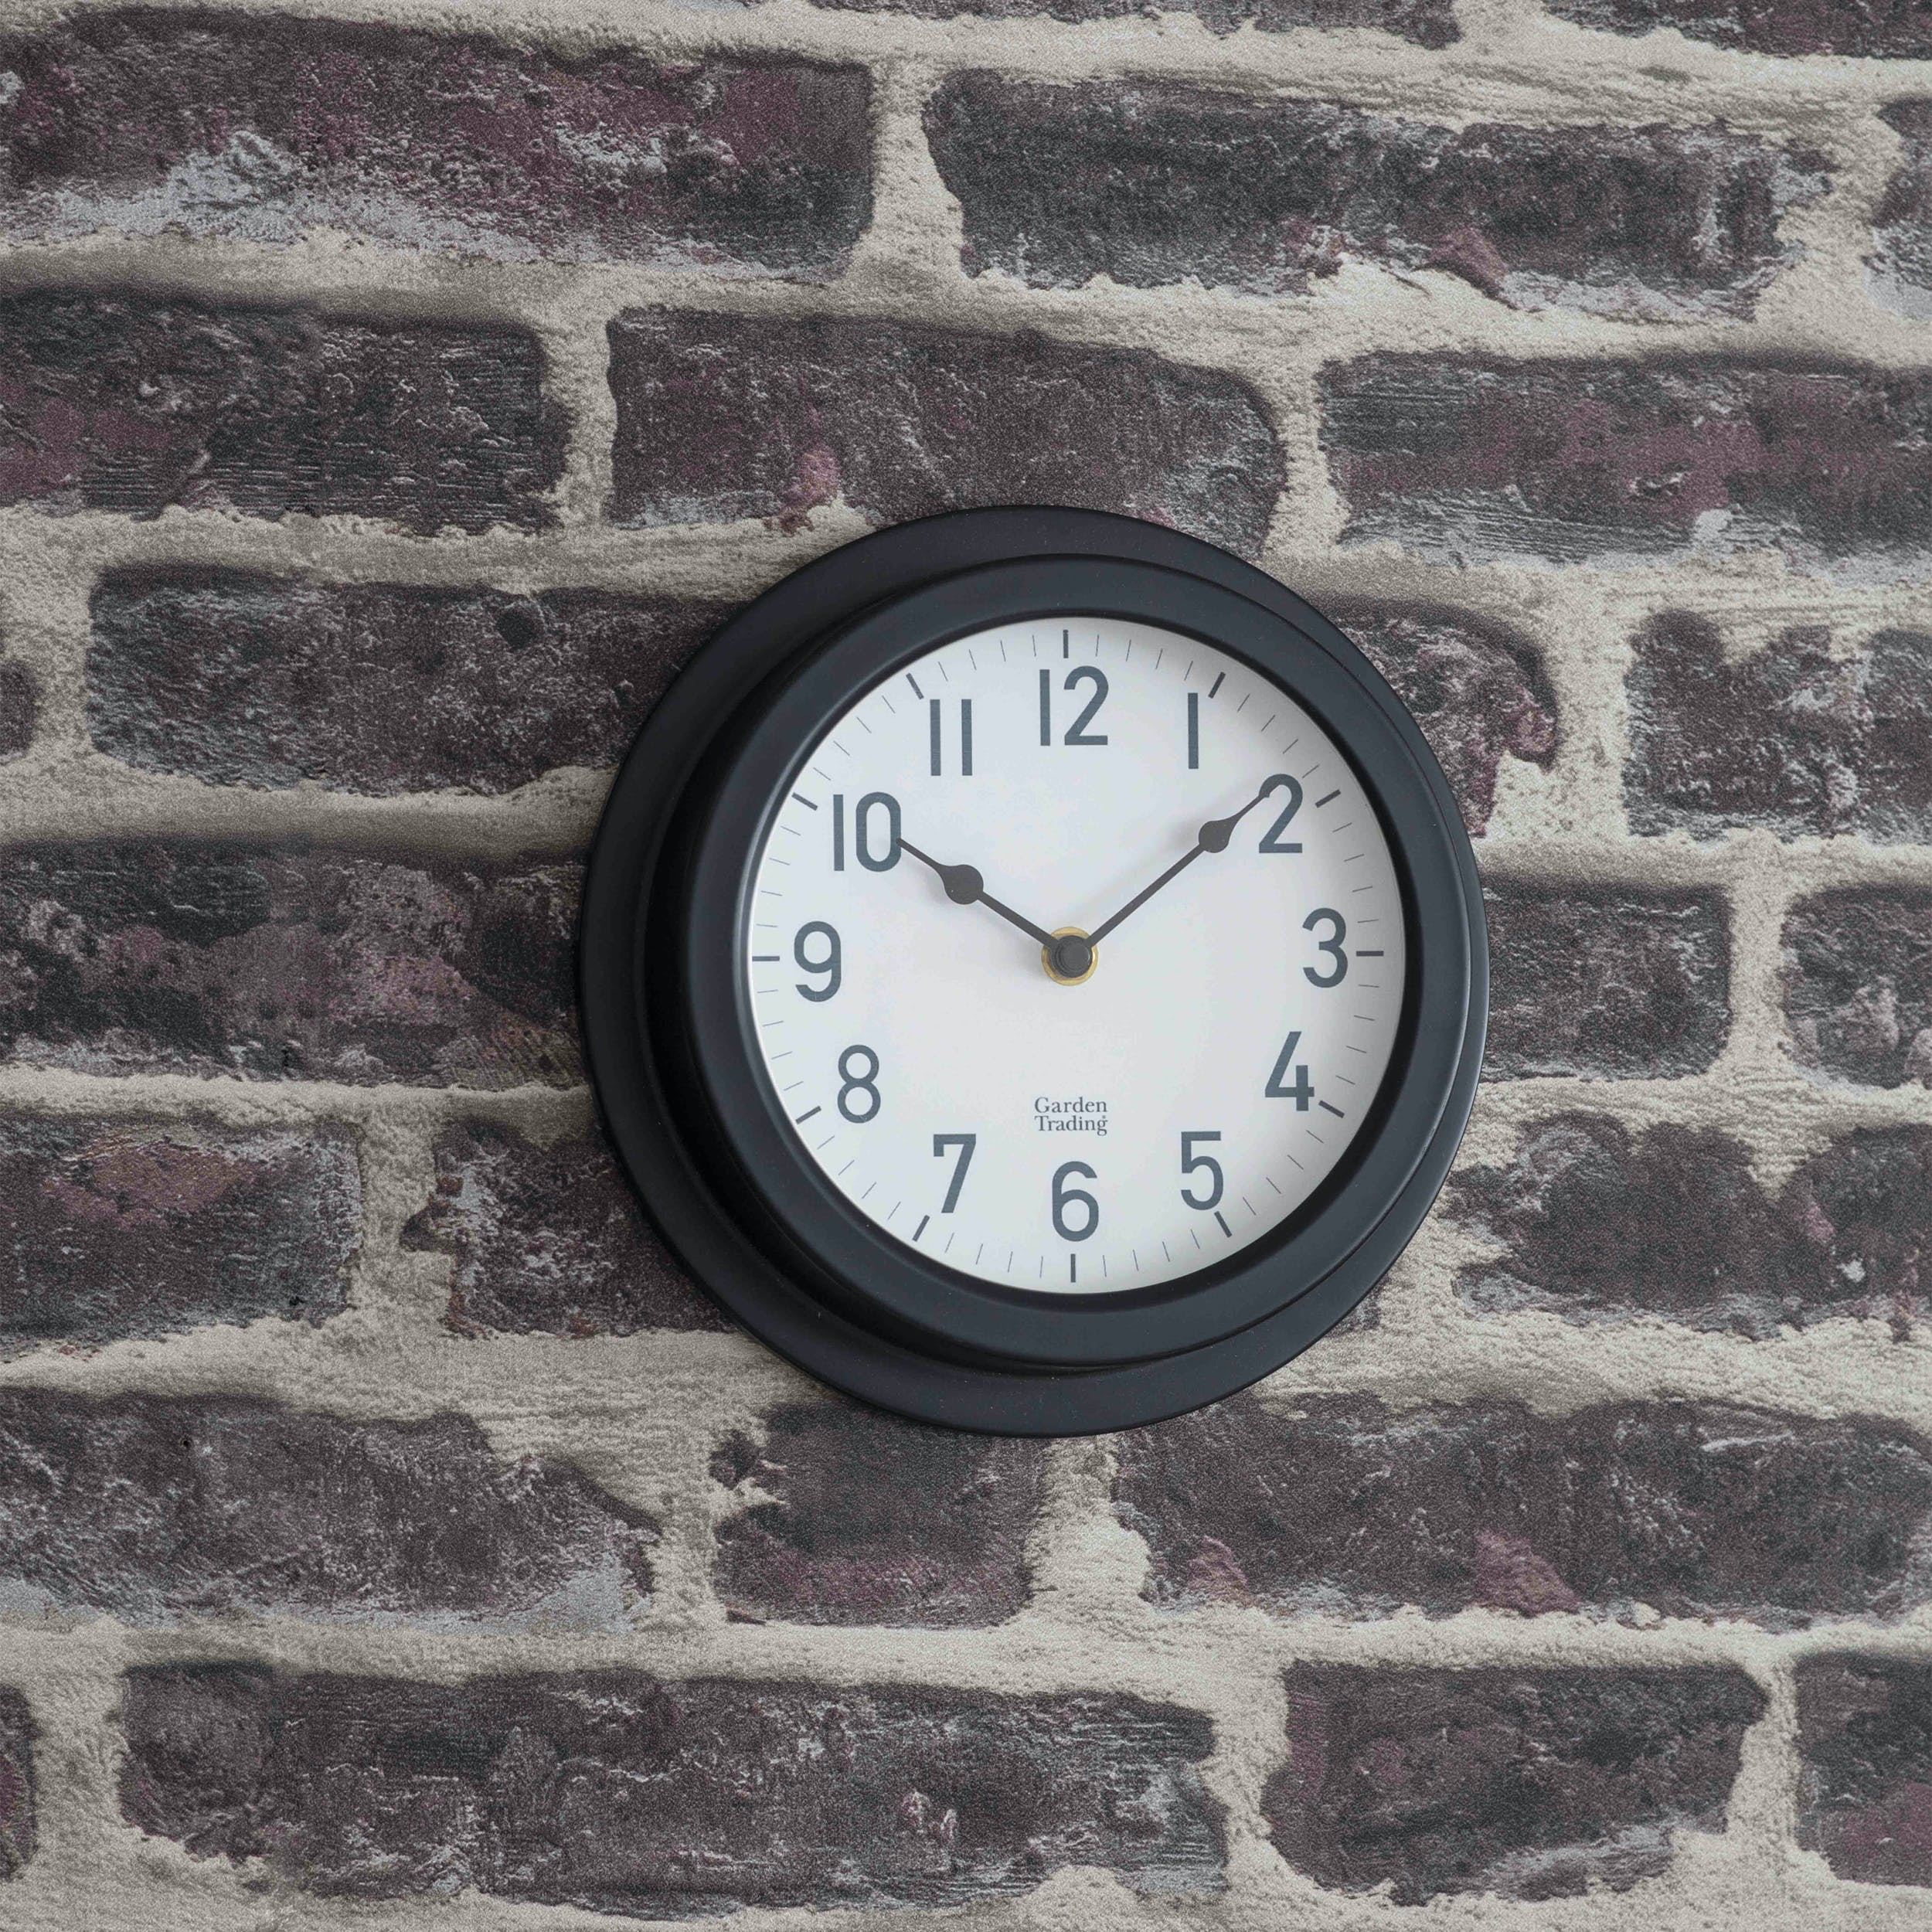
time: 10:08
